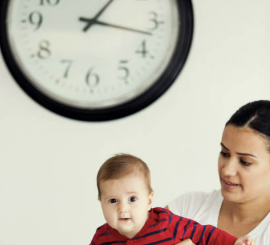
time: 1:17
